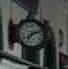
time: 7:11
